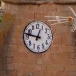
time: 12:47
